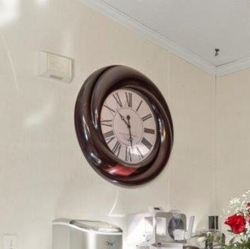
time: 10:28
